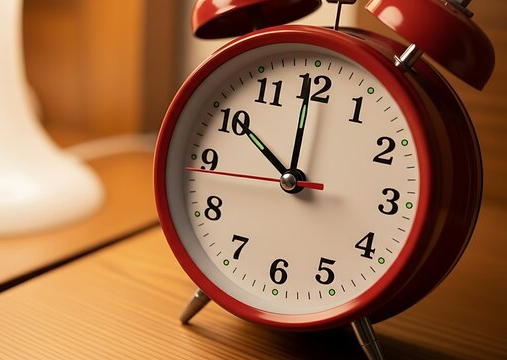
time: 9:59
